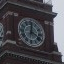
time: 4:01
